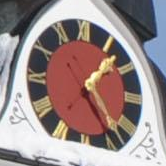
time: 1:24
